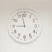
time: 8:57
